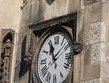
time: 11:07
